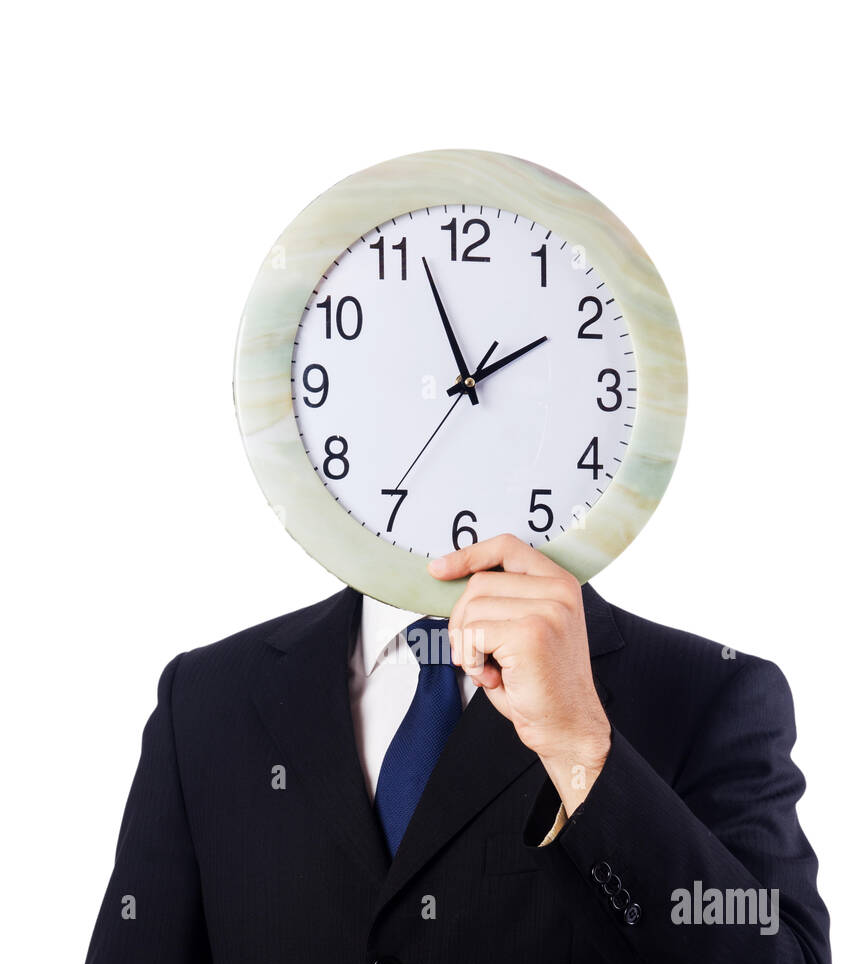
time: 1:56
